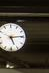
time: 5:14
